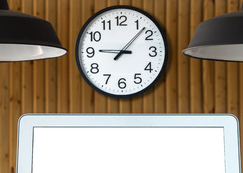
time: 9:07
